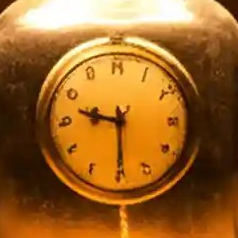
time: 9:29
